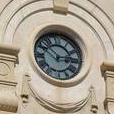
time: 2:52
